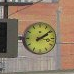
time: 2:09
